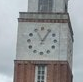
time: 11:05
